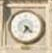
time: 4:33
